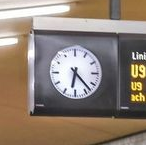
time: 6:23
